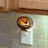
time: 12:52
